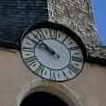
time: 9:51
